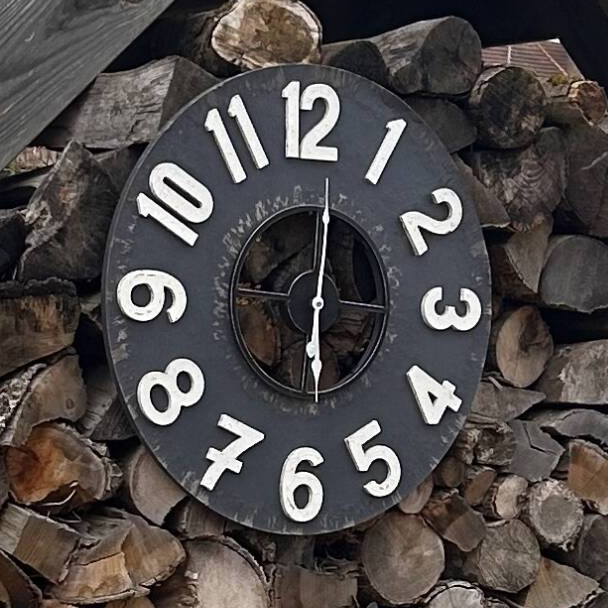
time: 6:01
